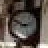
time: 2:48
